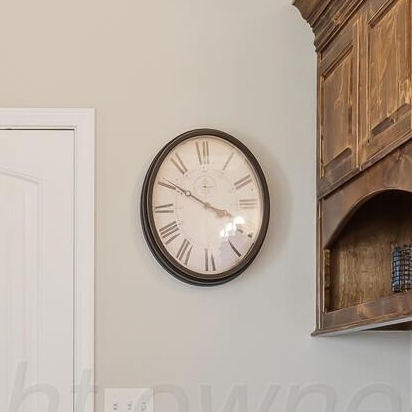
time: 3:50
